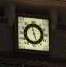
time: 4:57
